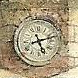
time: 5:11
